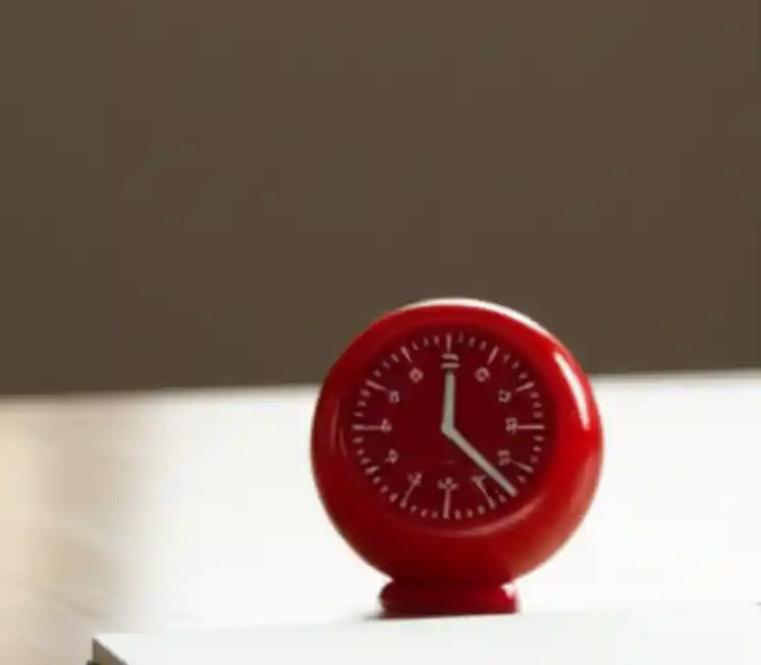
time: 12:22
